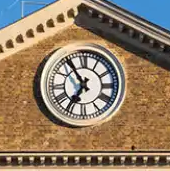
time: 6:54
